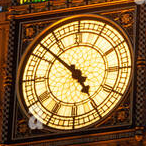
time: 4:51
